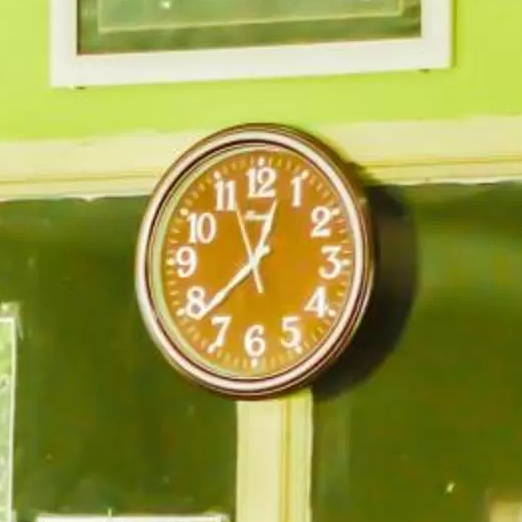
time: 12:38
